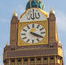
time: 4:19
